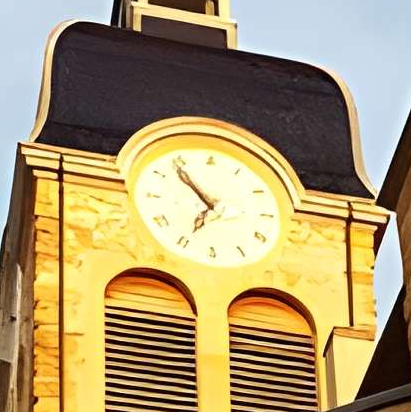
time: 6:53
